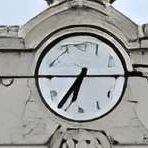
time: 6:36
